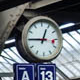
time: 12:45
